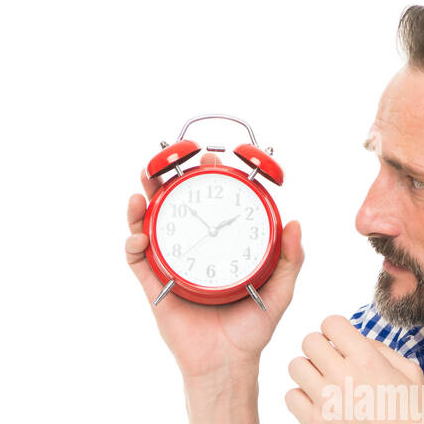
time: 1:52
